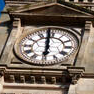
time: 5:59
